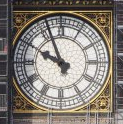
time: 9:56
